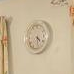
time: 4:28
